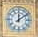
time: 12:09
